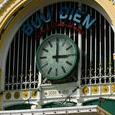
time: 3:00
